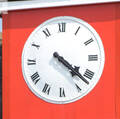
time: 4:22
